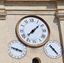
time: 1:37
